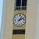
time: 1:11
